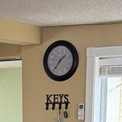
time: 1:36
